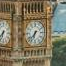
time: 6:37
